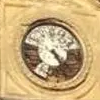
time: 4:23
